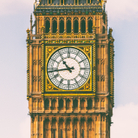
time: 10:43
